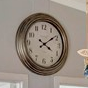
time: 4:09
